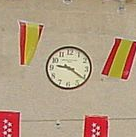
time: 9:20
